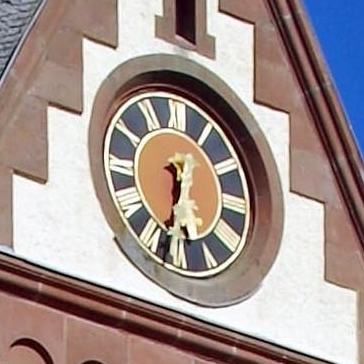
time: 5:32
